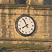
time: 7:55
